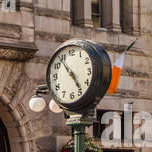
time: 4:53
